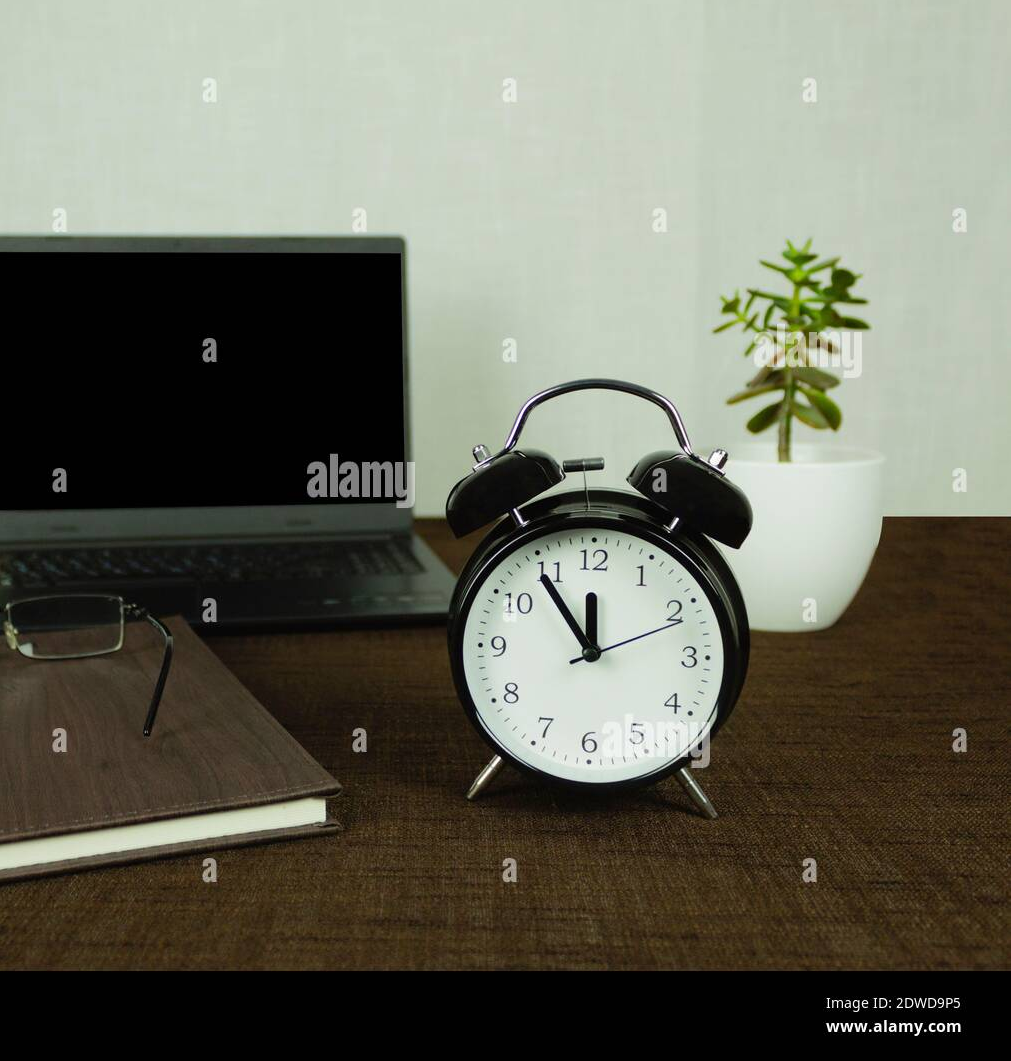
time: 11:54
